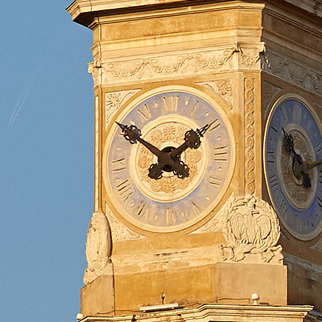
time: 1:50
